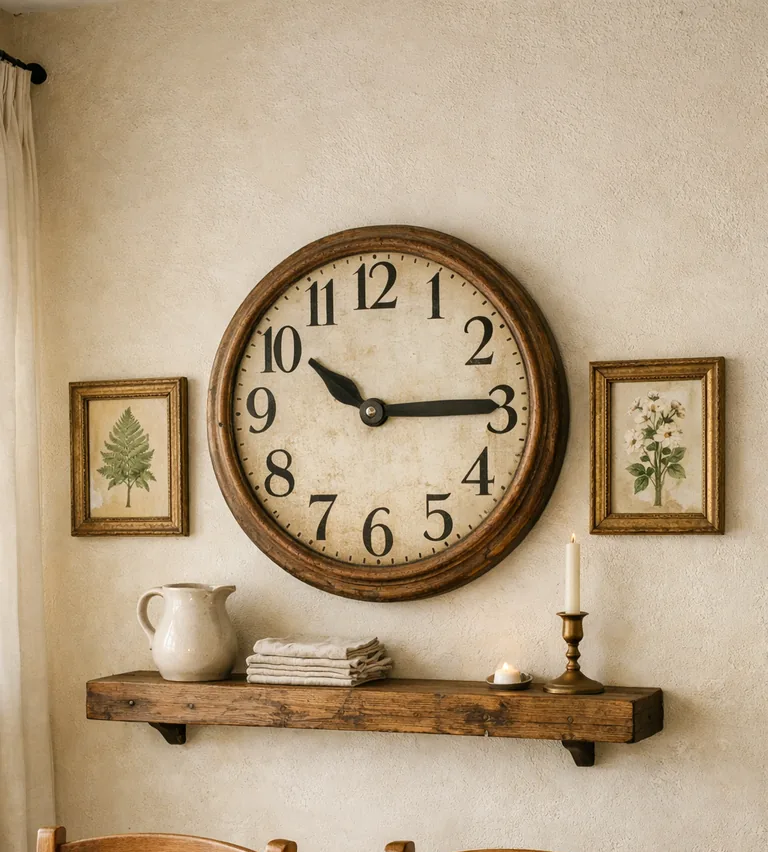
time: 10:14
